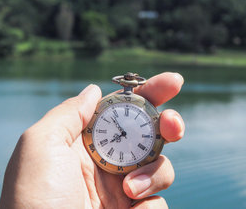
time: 7:52
